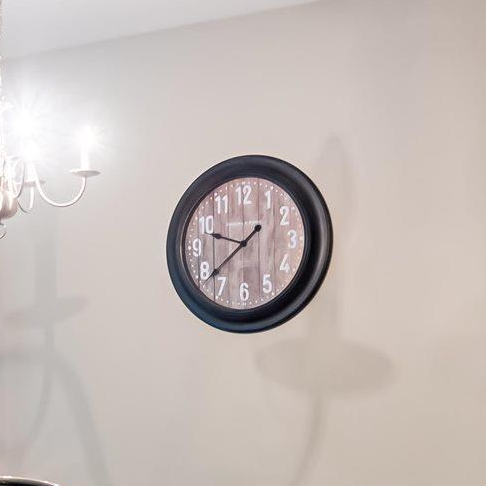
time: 9:38
